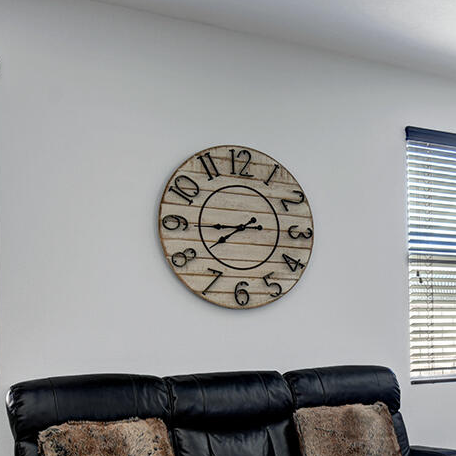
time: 7:44
